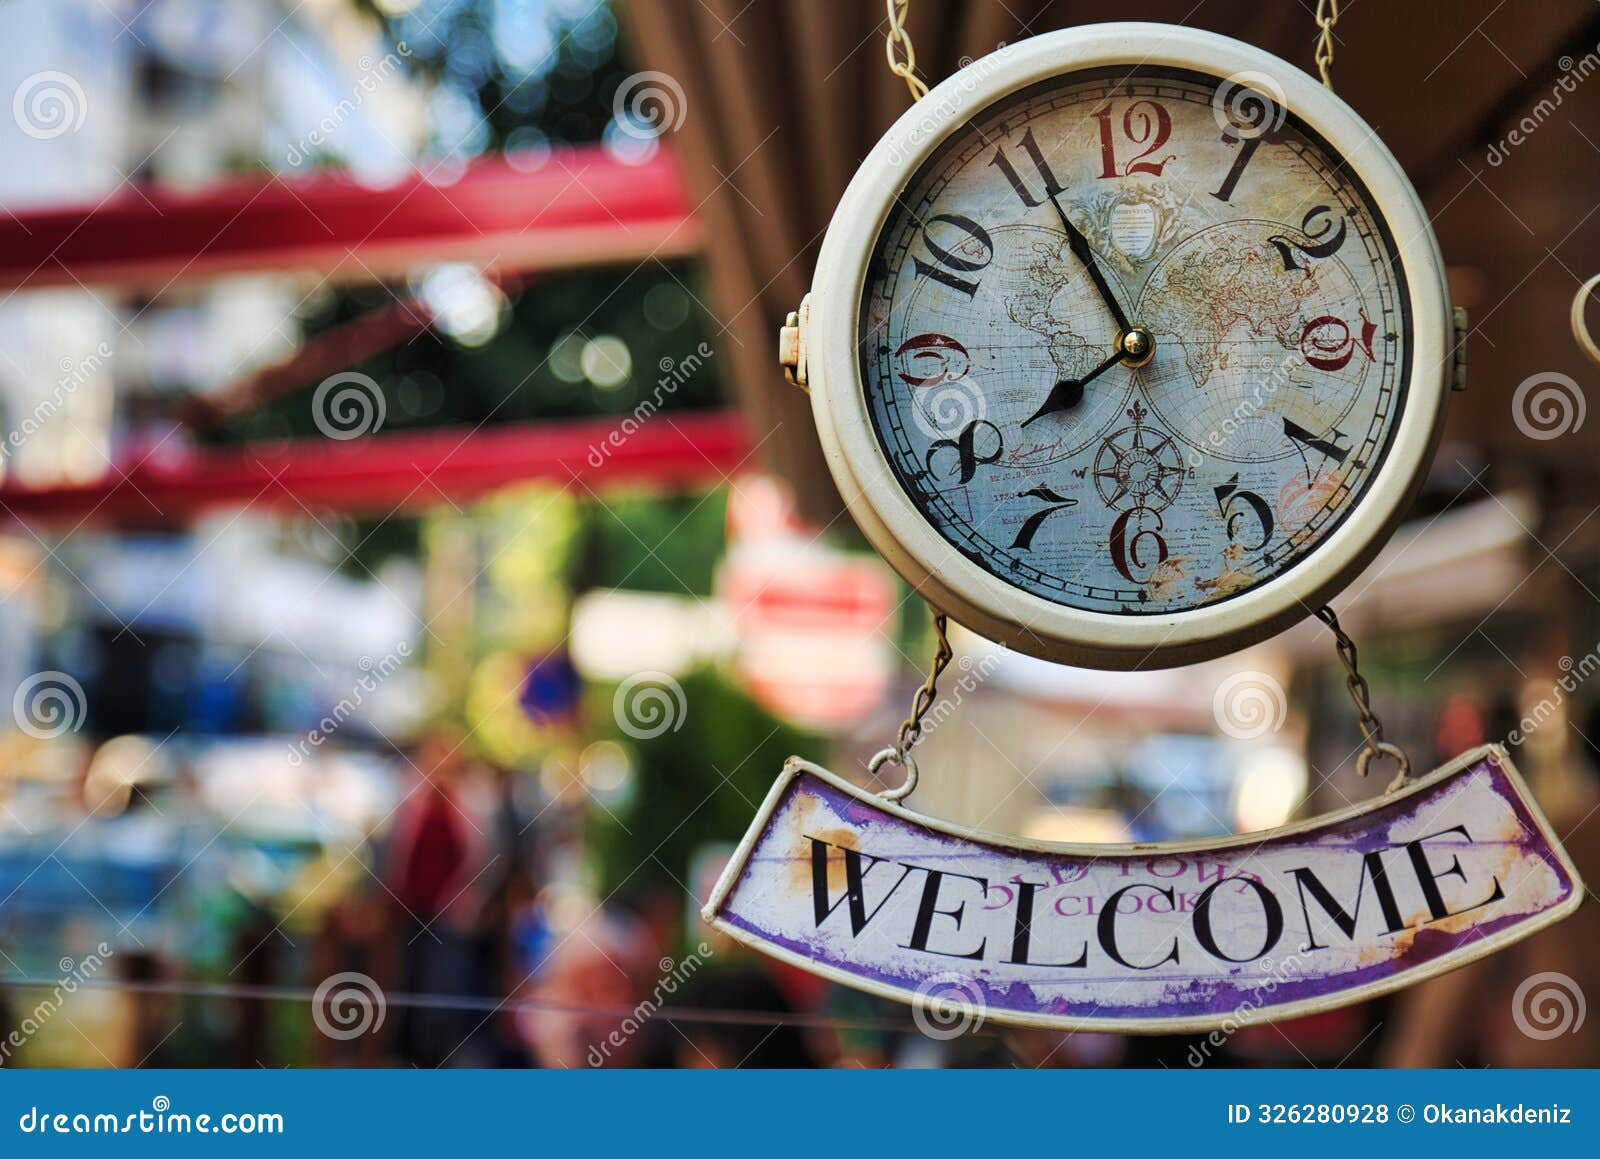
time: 7:55
